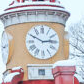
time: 2:49
